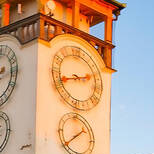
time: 2:42
